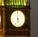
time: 5:59
